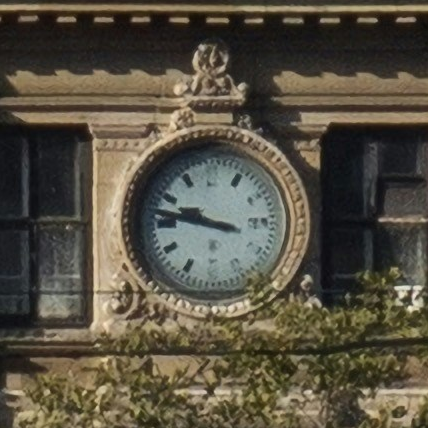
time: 9:47
